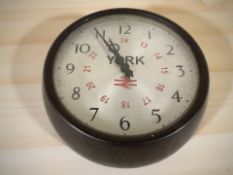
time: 10:55
